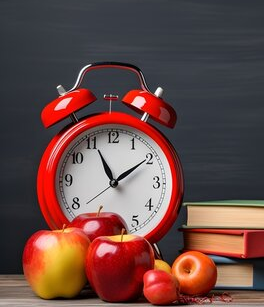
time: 11:09
